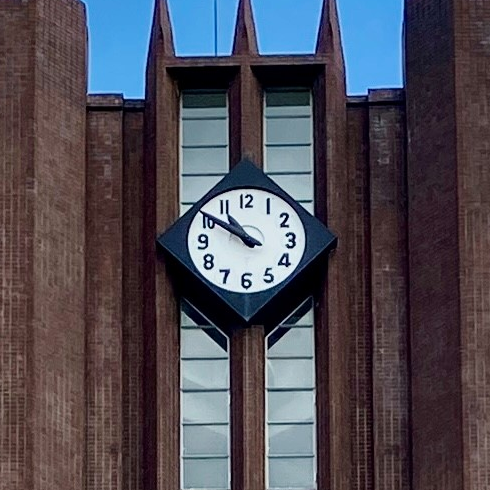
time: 10:50
